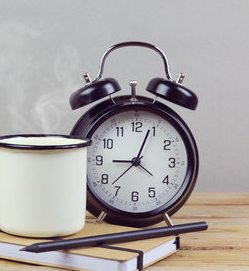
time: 9:03
